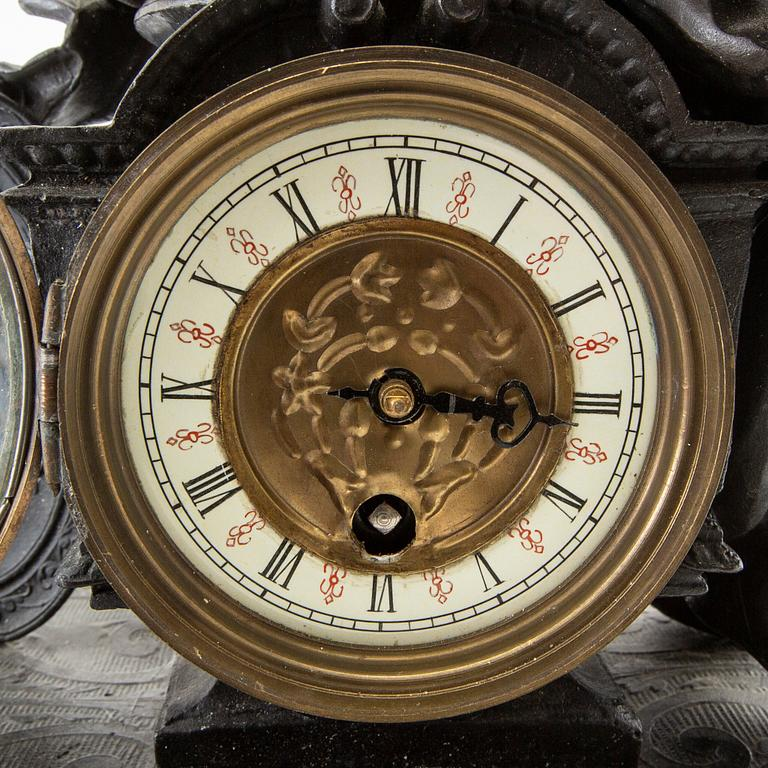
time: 3:15
